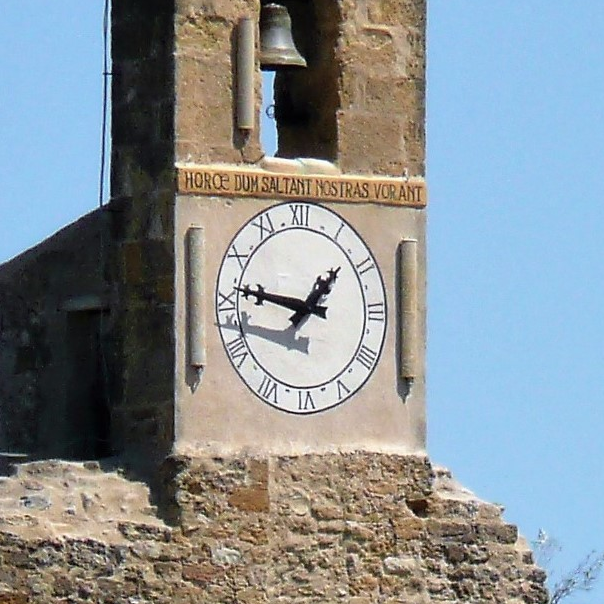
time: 1:46
